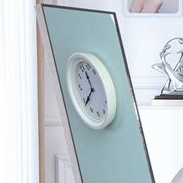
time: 11:38
